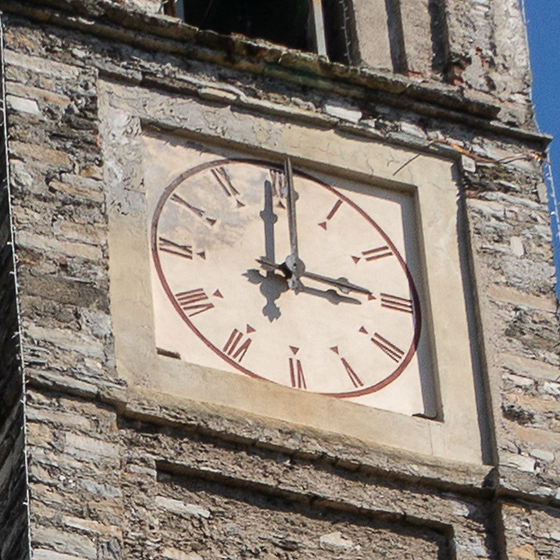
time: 2:59
